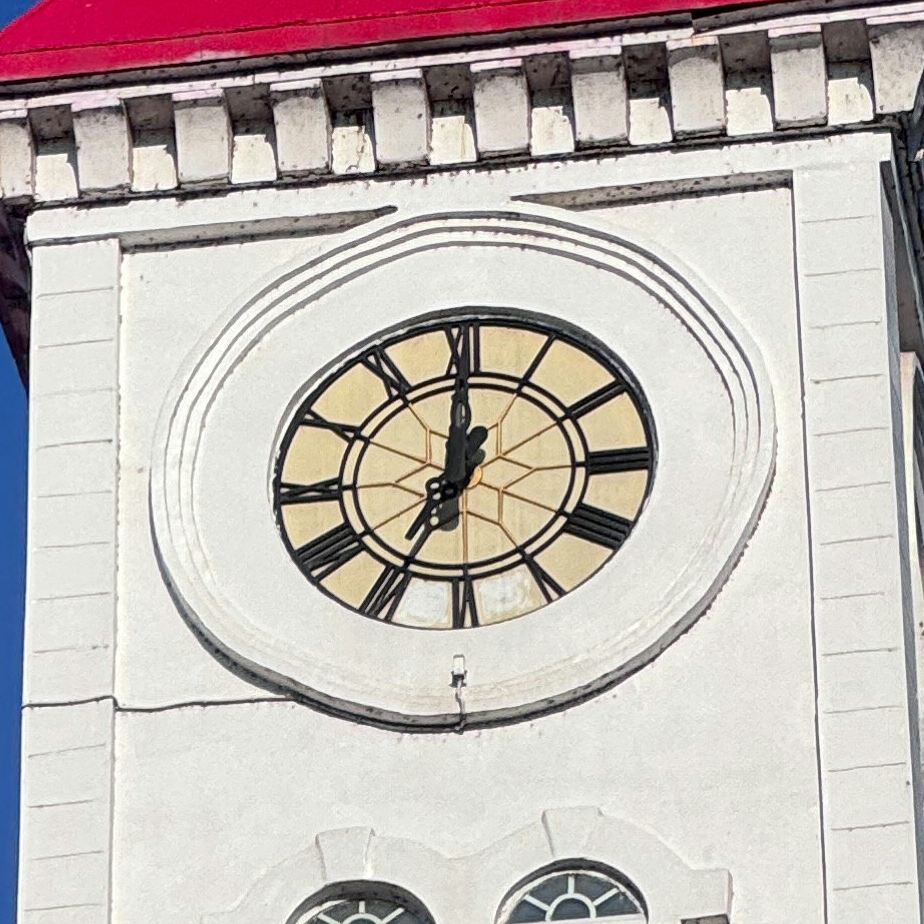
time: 7:00
